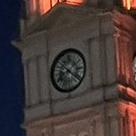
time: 8:21
